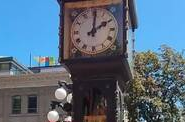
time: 2:01
